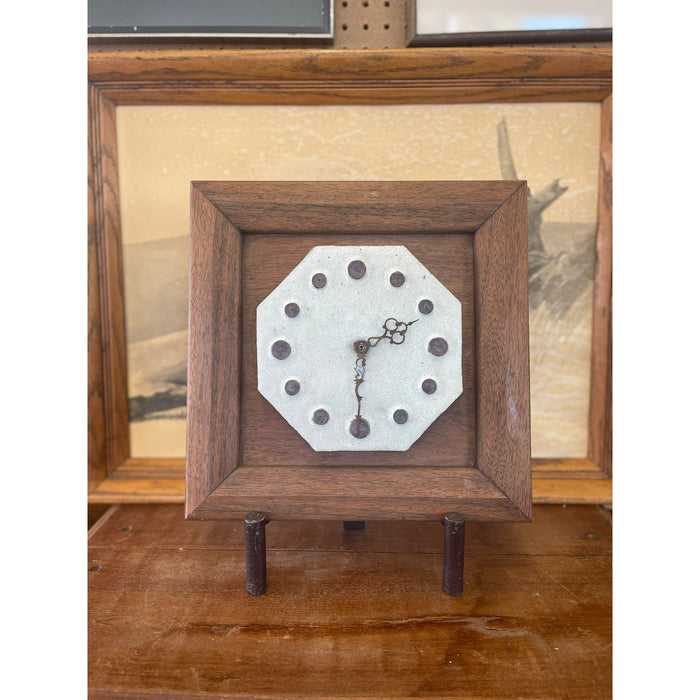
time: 2:30
